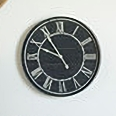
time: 9:54
